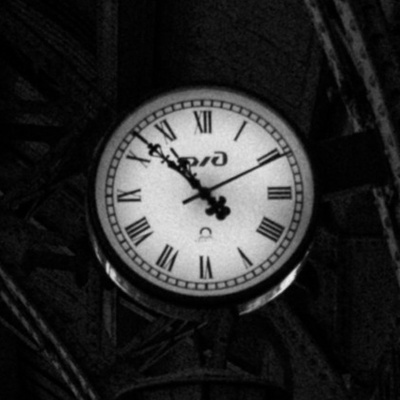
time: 10:52
